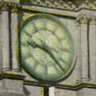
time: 9:22
